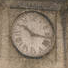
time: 10:16
